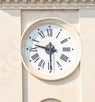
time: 9:29
